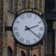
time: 2:21
